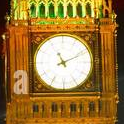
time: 11:10
